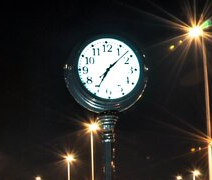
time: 7:07
